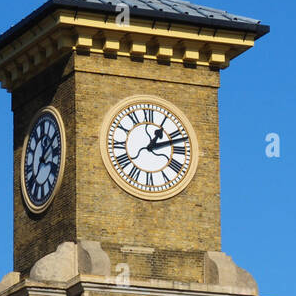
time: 1:11
